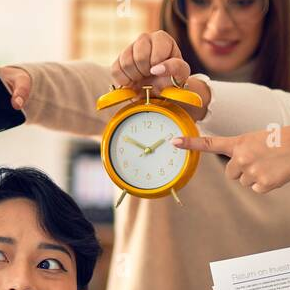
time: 1:50
